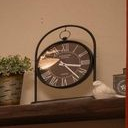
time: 3:23
